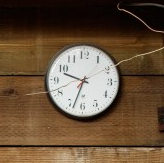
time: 9:33
